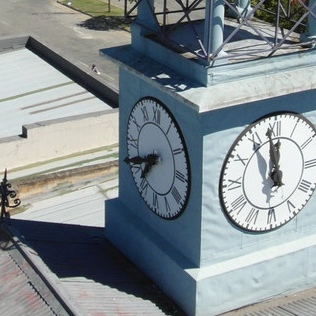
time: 7:41
